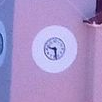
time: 9:28
